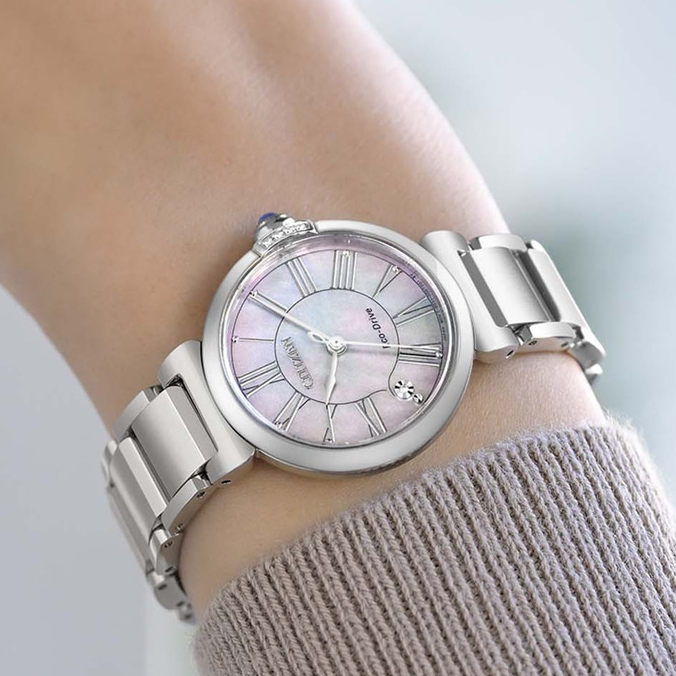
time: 6:14
